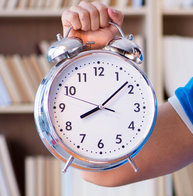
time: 8:08
